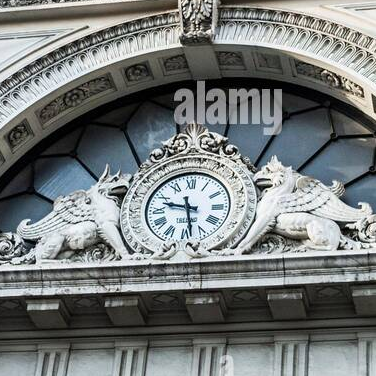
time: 9:28
